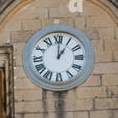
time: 1:00
